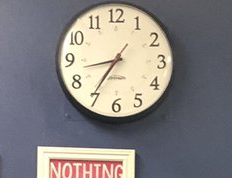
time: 8:35
